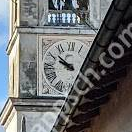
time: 9:51
